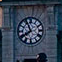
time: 7:55
